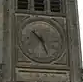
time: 10:26
